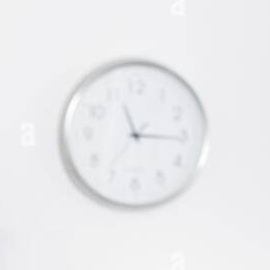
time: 11:15
